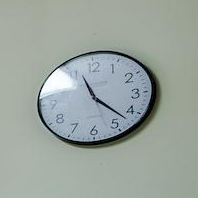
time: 11:22
